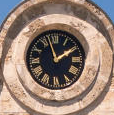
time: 1:57
